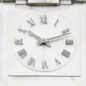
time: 10:11
